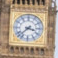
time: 3:37
